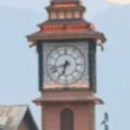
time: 6:42
